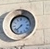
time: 7:37
